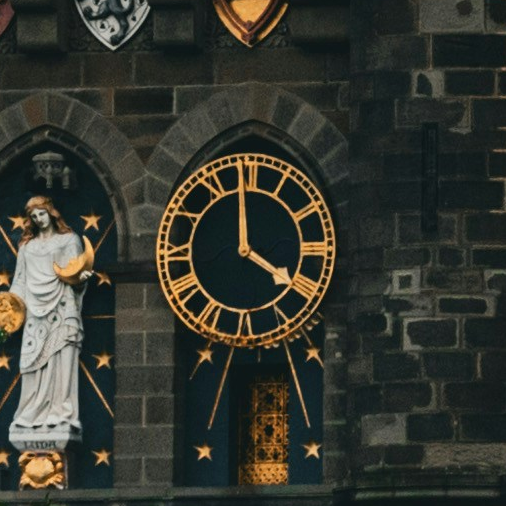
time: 3:58
